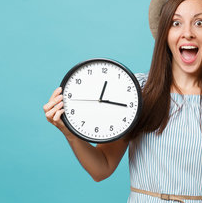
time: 12:15
